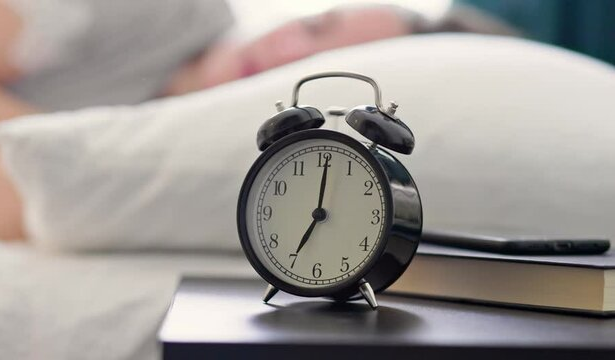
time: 7:01
